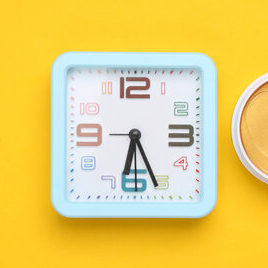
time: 6:26
